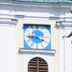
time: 3:45
